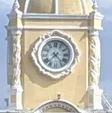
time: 4:37
